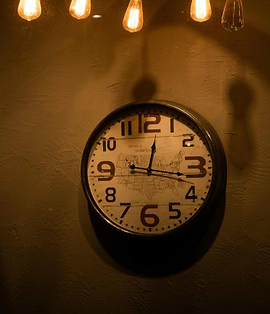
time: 12:16
